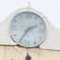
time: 2:35
